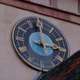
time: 2:58
